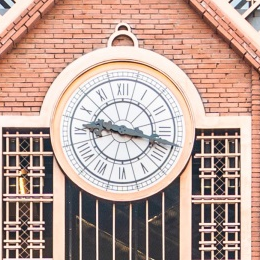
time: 9:17
